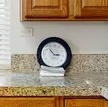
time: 2:52
